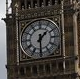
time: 1:30
